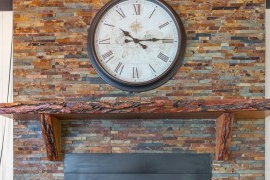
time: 10:14
